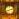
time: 8:12
